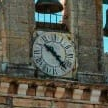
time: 10:23
